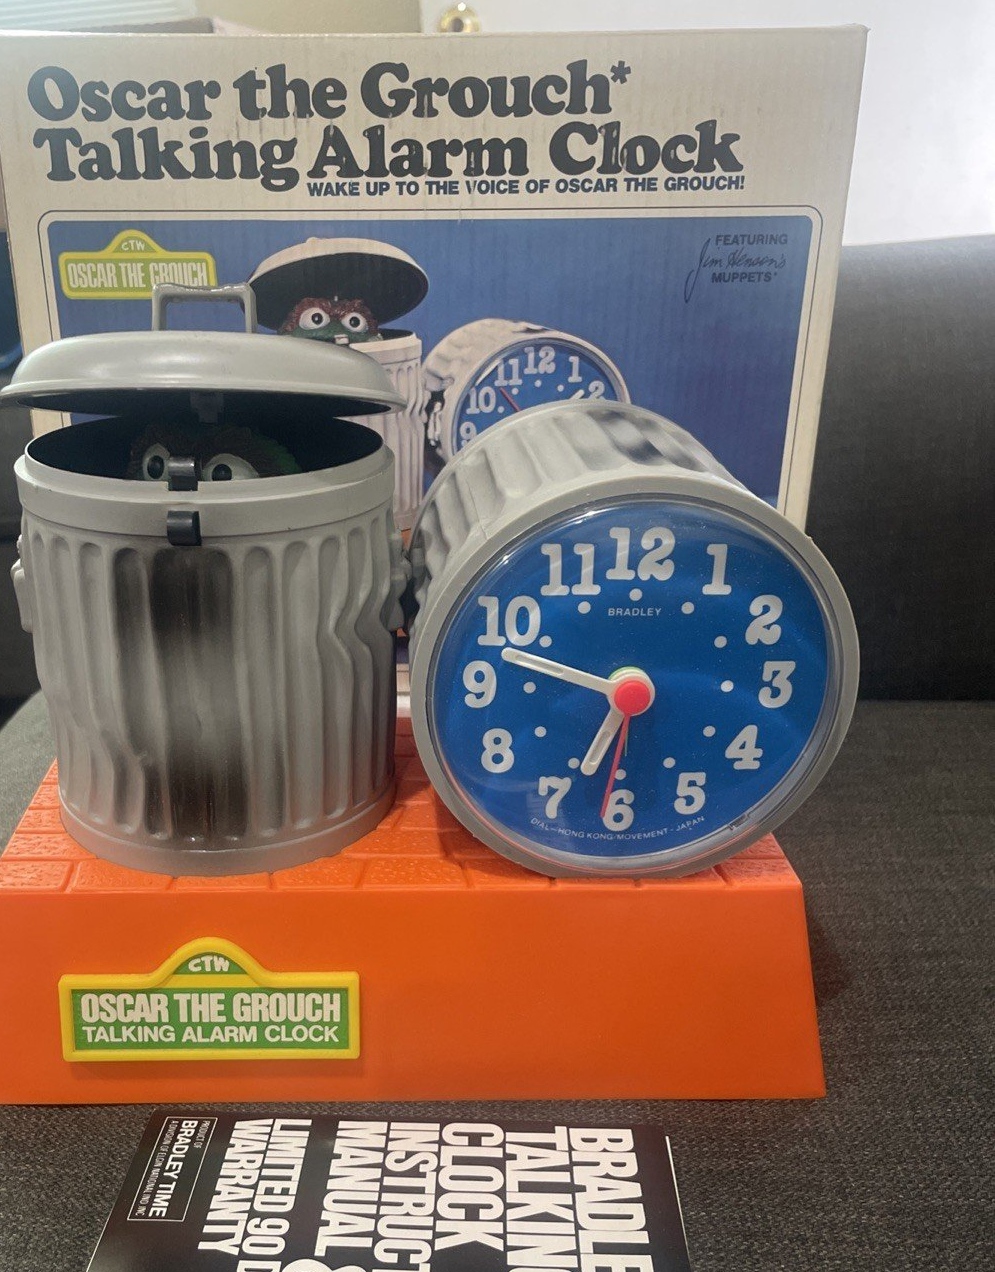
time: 6:47
